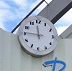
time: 11:45
